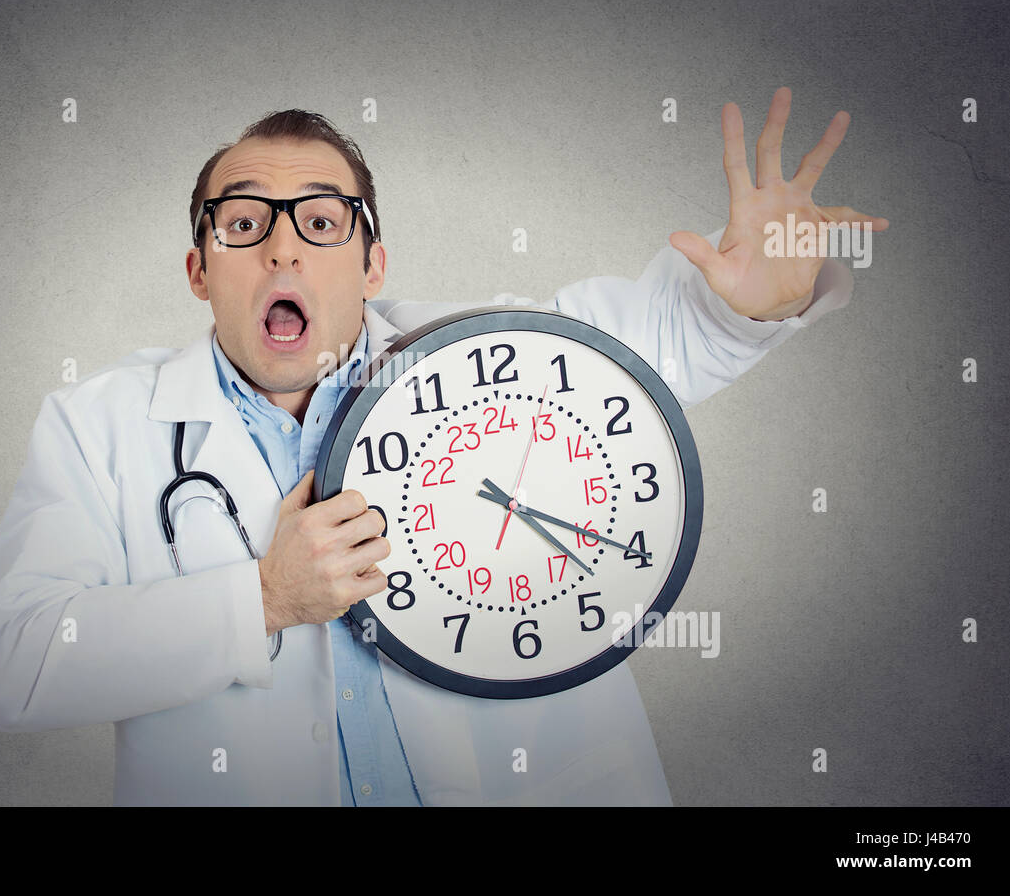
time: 4:19
